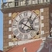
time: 1:18
